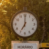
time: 7:00
